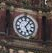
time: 5:06
